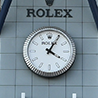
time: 4:05
